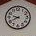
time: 9:40
